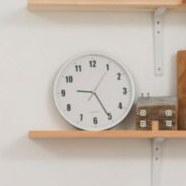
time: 9:05
